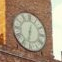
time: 6:32
